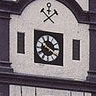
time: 10:20
